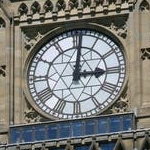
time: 3:01
